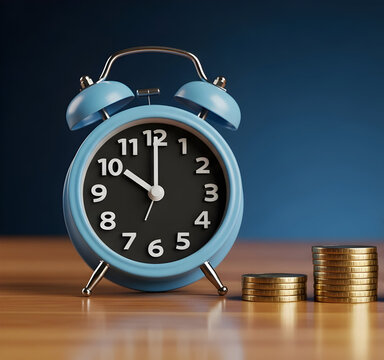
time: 10:00
